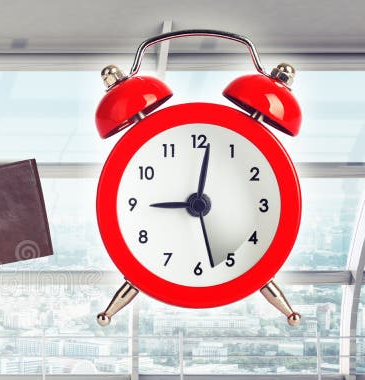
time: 9:01
